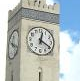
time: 12:19
